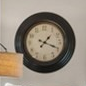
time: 1:18
